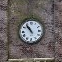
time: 10:53
